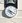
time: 5:18
